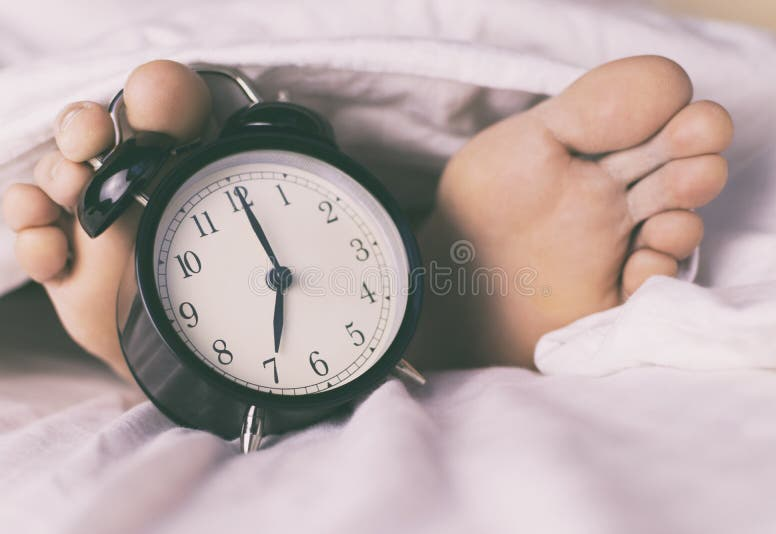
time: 7:00
